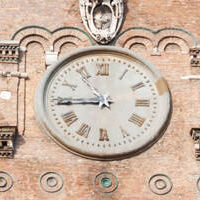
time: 10:44
